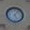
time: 5:06
